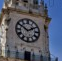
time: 1:50
